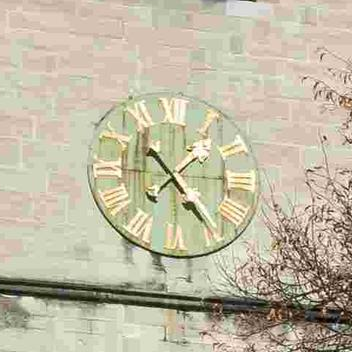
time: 1:23
